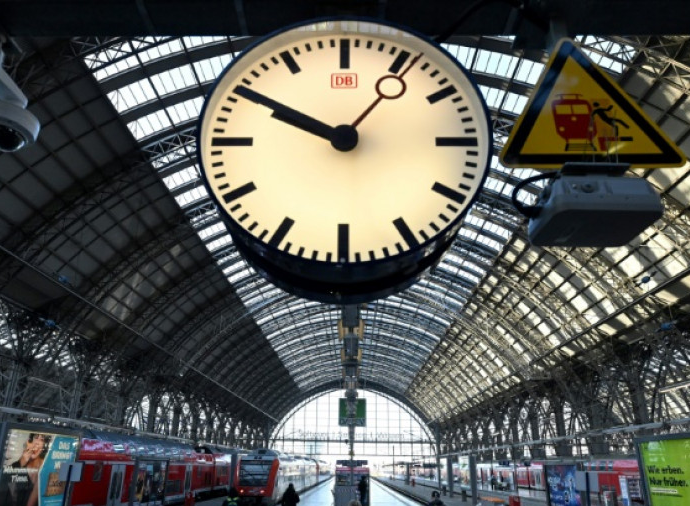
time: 9:50
